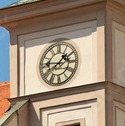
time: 1:46
